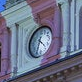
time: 4:33
